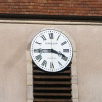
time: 3:44
